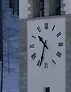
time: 10:33
